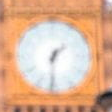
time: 1:31
